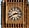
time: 2:40
